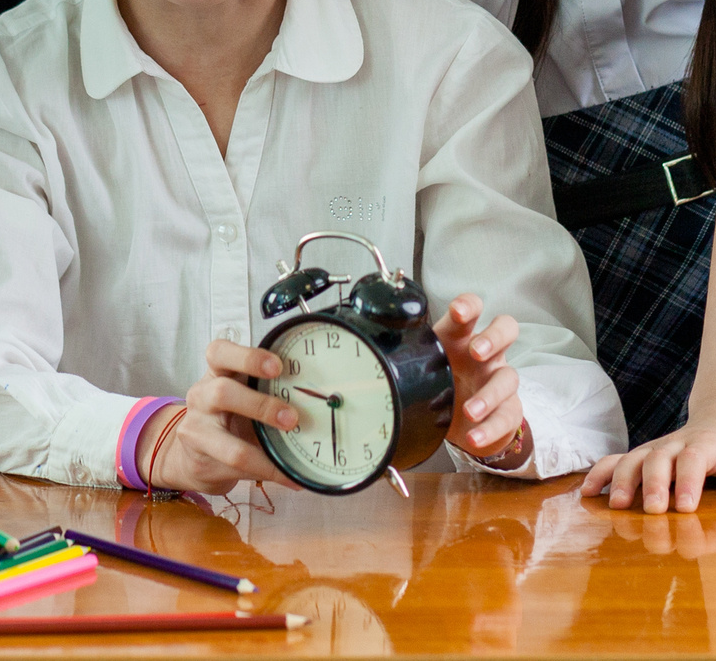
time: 9:30
